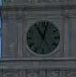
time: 11:02
